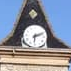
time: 6:11
